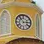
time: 2:53
